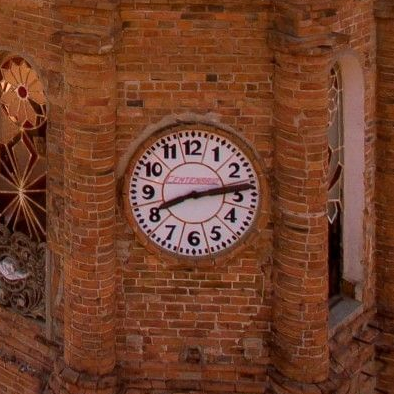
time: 8:13
